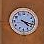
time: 4:17
